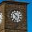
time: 6:52
